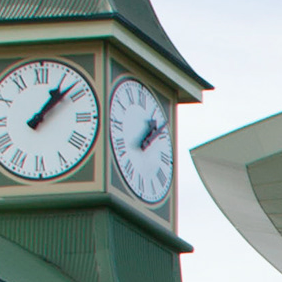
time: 1:08
